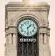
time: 1:29
